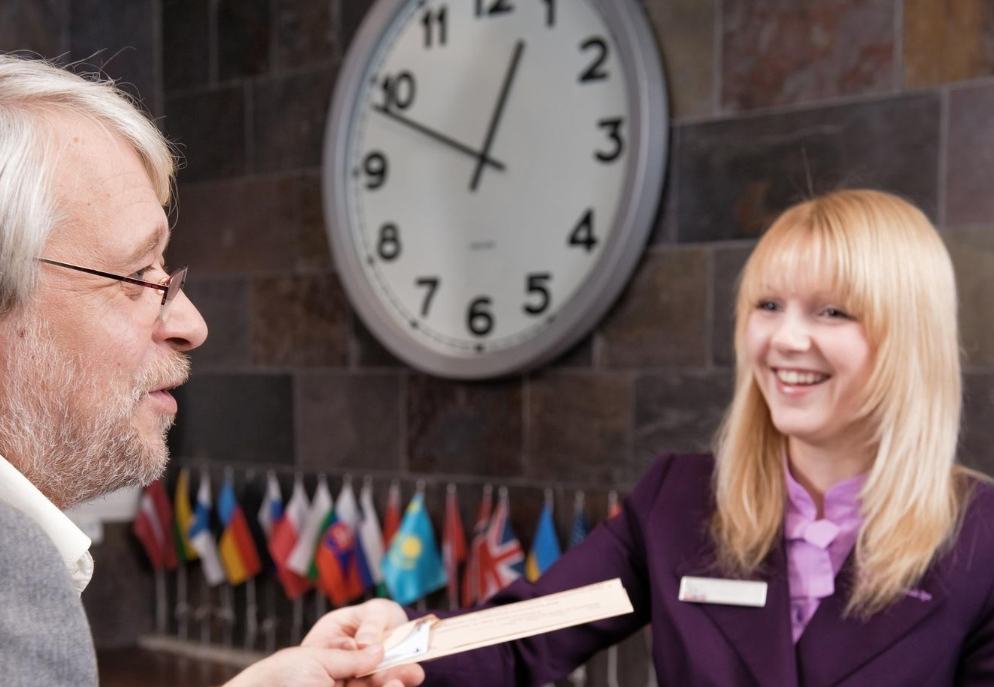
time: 12:48
